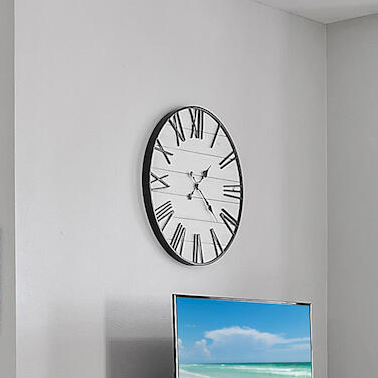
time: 1:21
